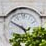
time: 4:50
